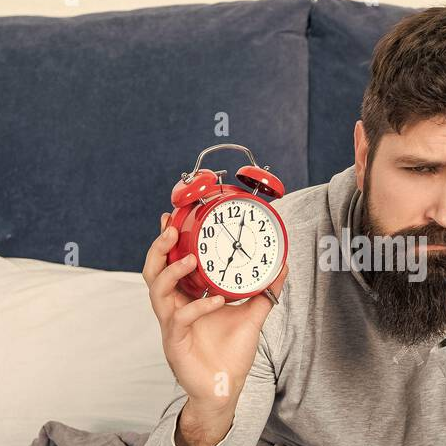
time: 7:03
